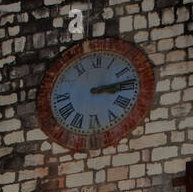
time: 3:13
